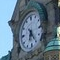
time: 6:23
